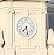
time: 7:28
